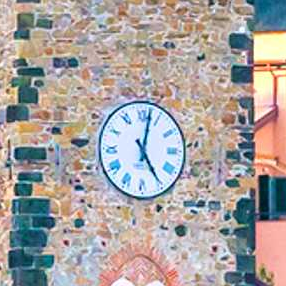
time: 5:02
